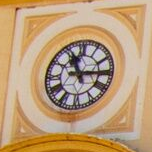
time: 11:14
